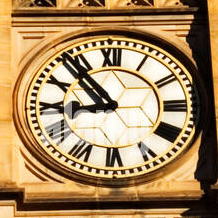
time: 8:53
